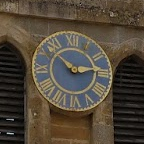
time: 2:52
